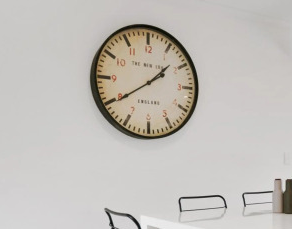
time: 1:39
